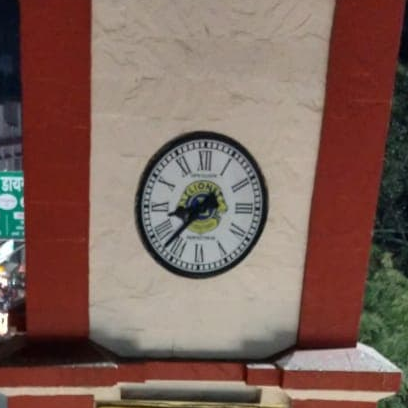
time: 8:37
